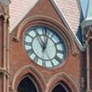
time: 11:02
